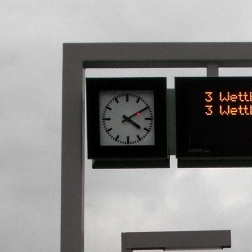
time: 4:09
